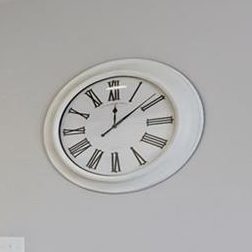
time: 12:09
